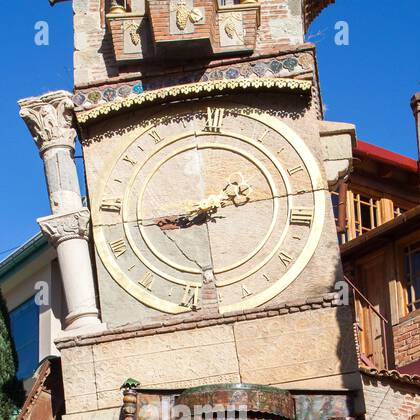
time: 7:42
